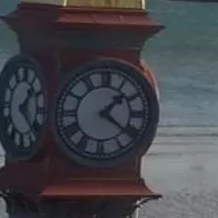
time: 1:21
